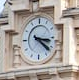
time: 3:21
